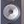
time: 8:36
